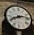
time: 8:12
